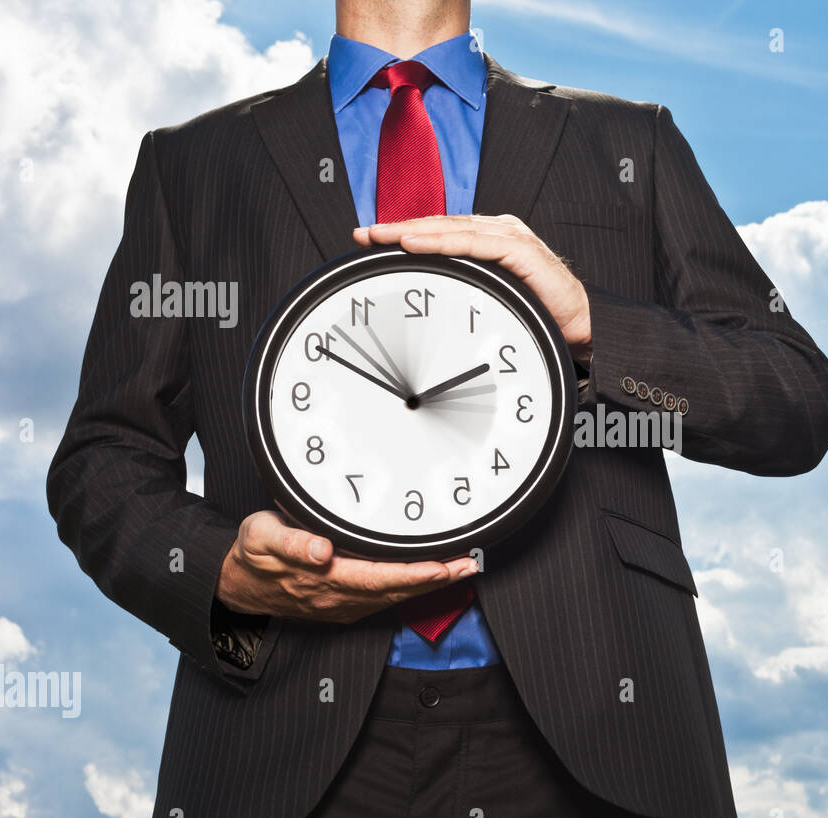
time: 1:49
